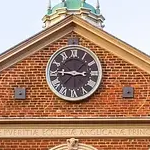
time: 2:45
